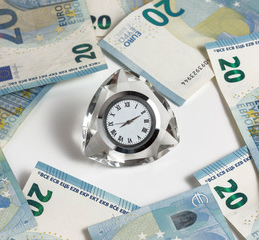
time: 2:10
